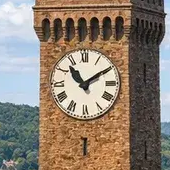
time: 11:09
